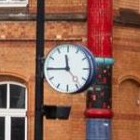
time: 11:44
